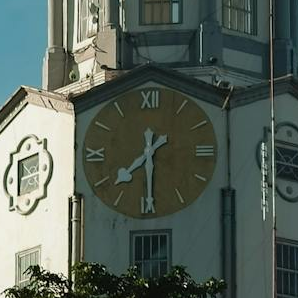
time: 7:30
